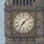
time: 7:07
